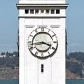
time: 3:43
